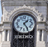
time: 1:24
